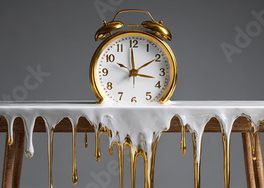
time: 1:59
